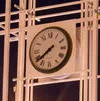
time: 7:38
